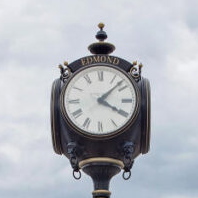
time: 4:07
